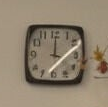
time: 4:00
